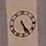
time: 5:24
